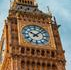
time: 10:07
